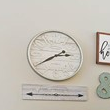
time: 2:40
